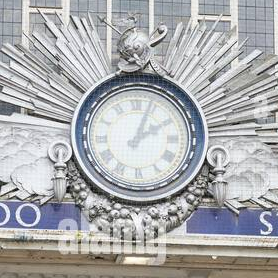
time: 2:03
